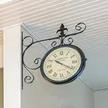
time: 10:20
